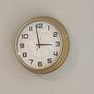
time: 2:58
